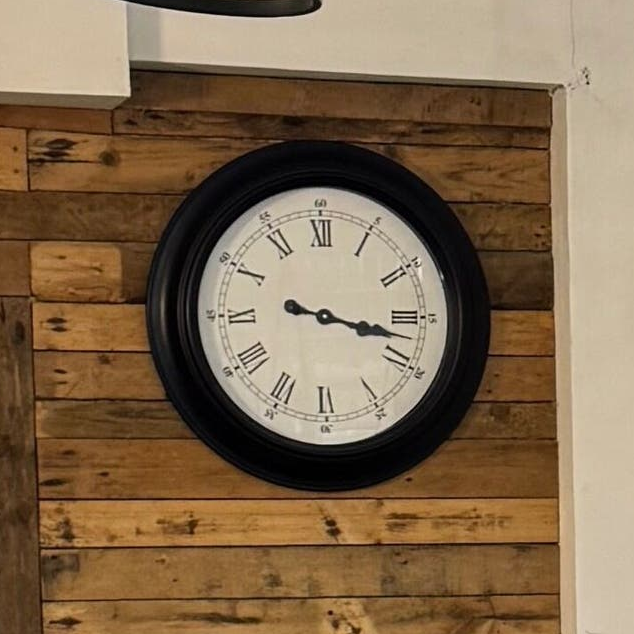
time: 3:17
